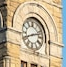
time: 8:12
